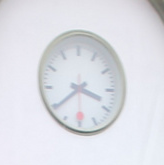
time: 3:39
